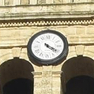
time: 4:19
